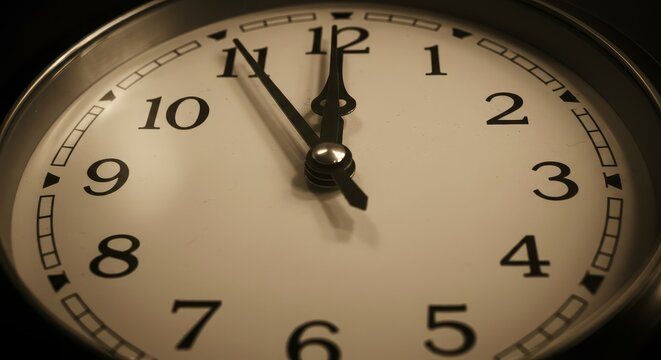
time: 11:55
